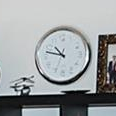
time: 10:47
